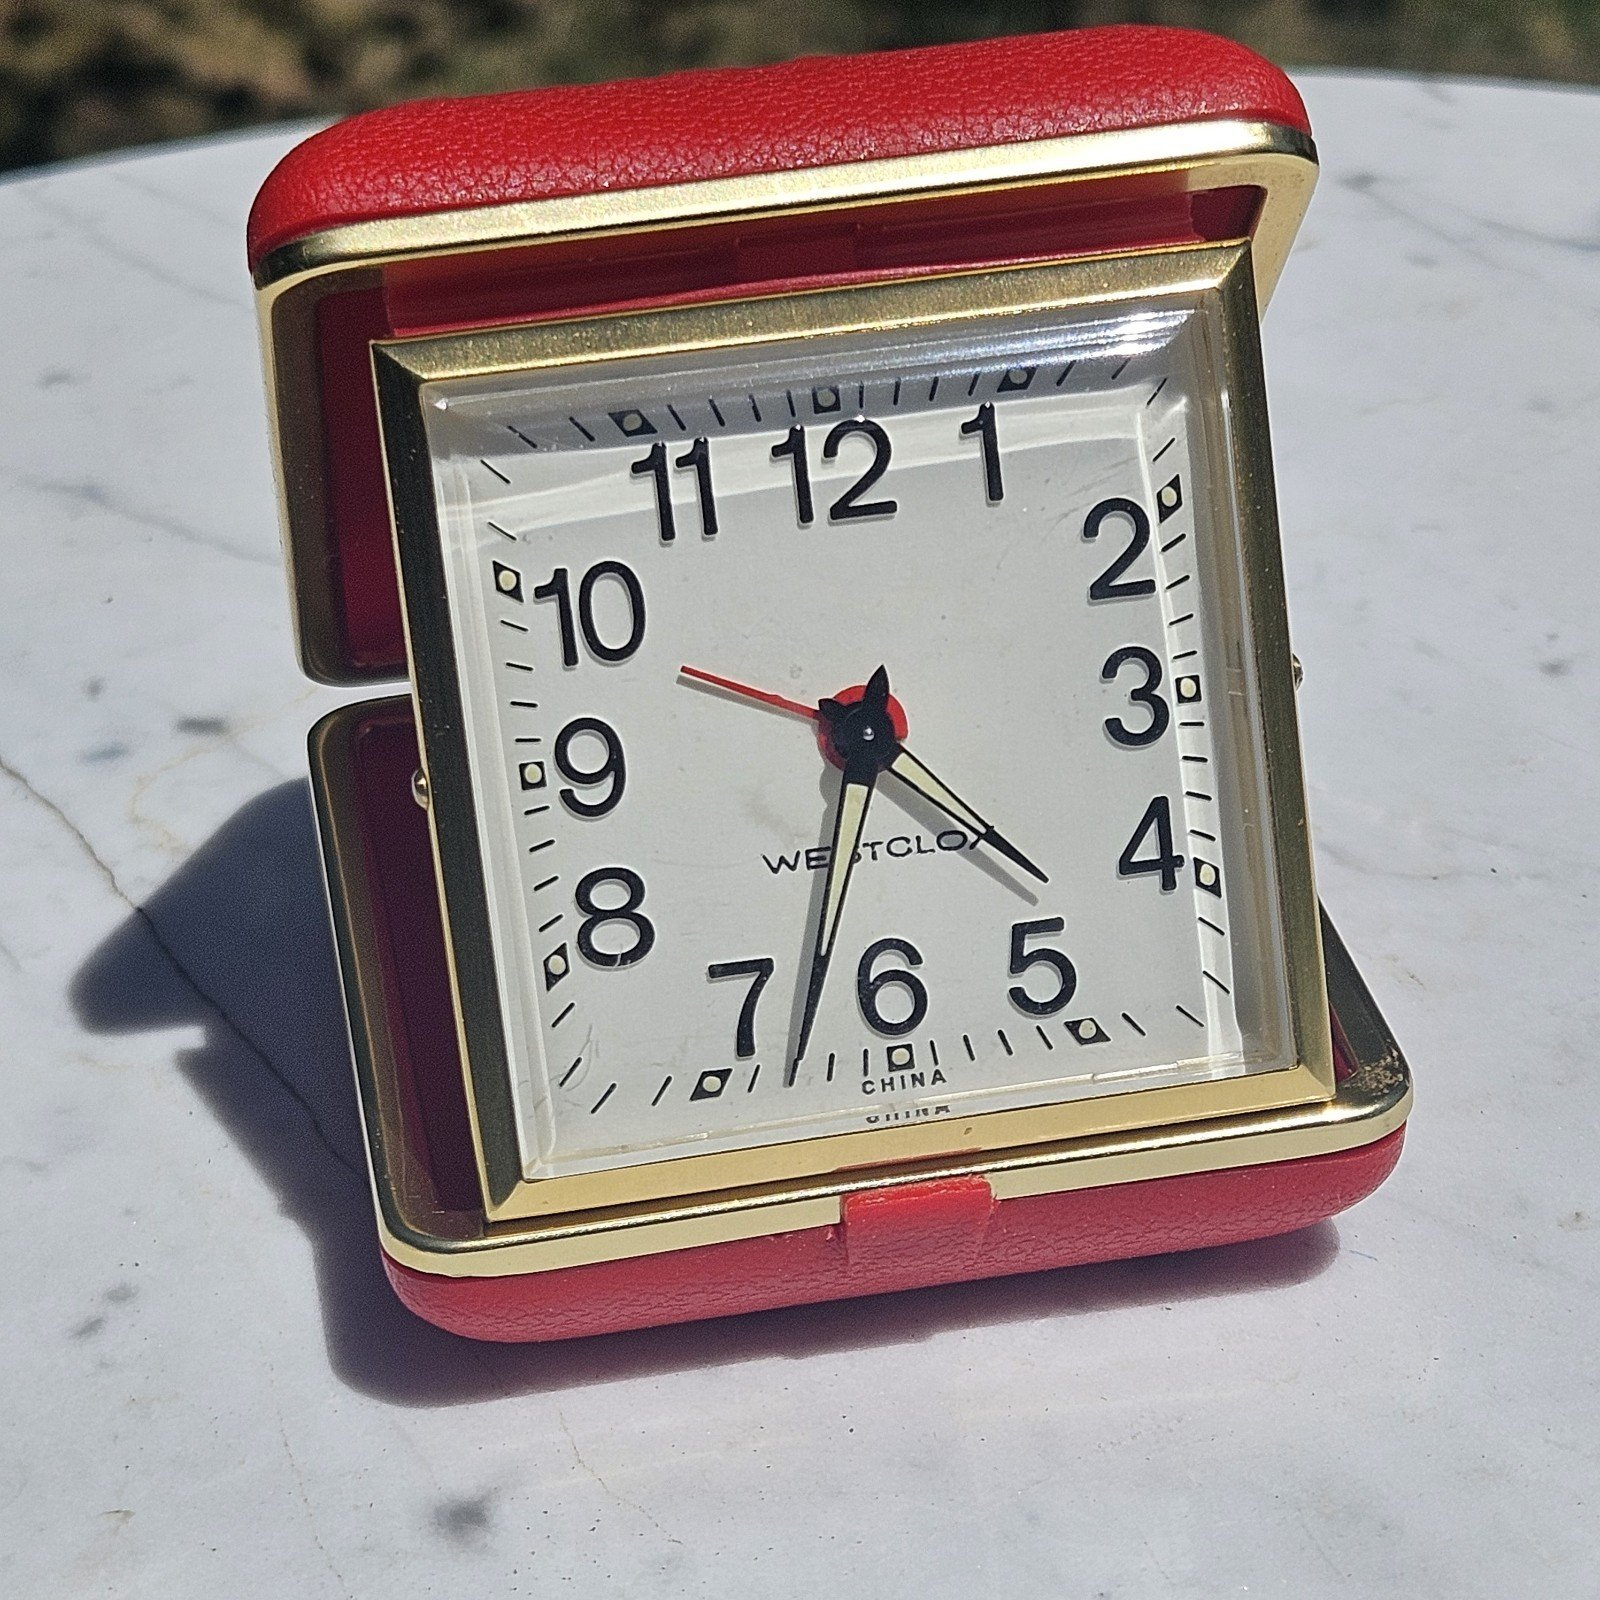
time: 4:33
